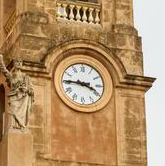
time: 3:45
